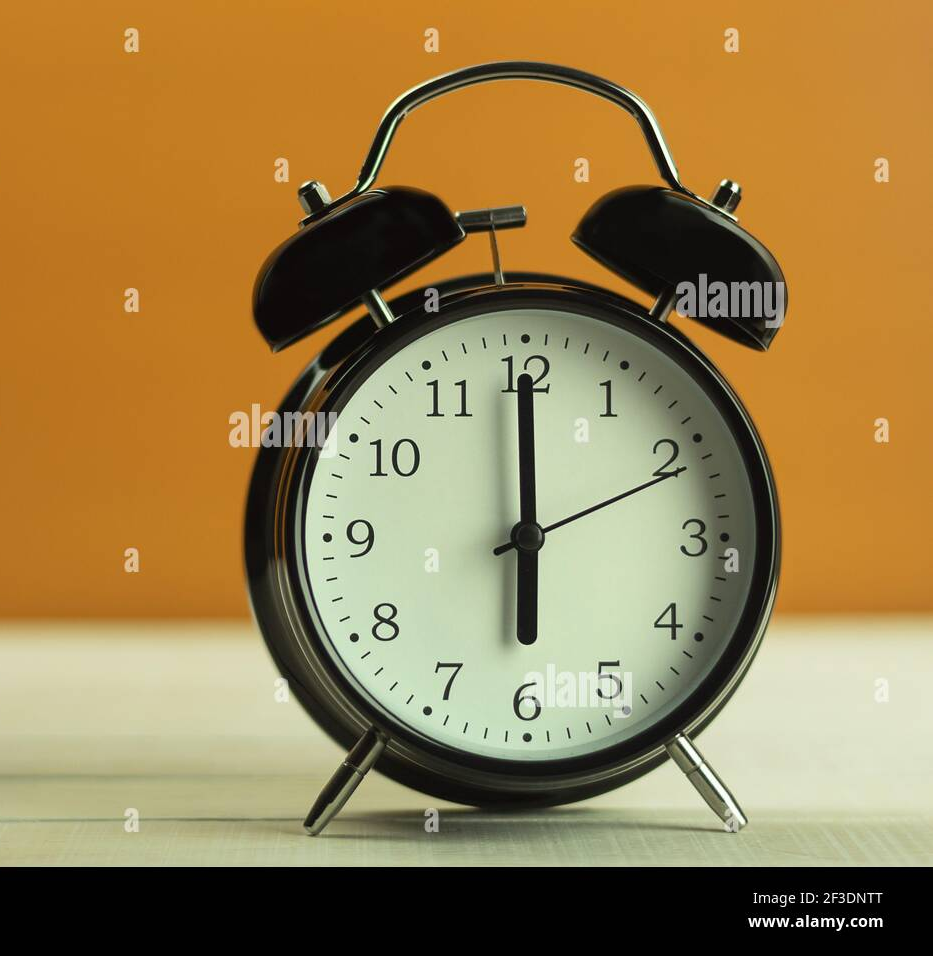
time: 6:00
